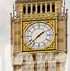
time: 1:37
